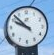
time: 9:52
